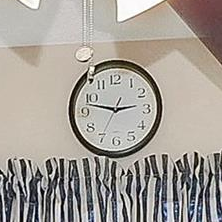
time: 2:47
